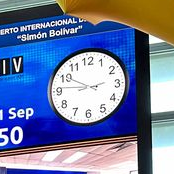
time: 2:50
